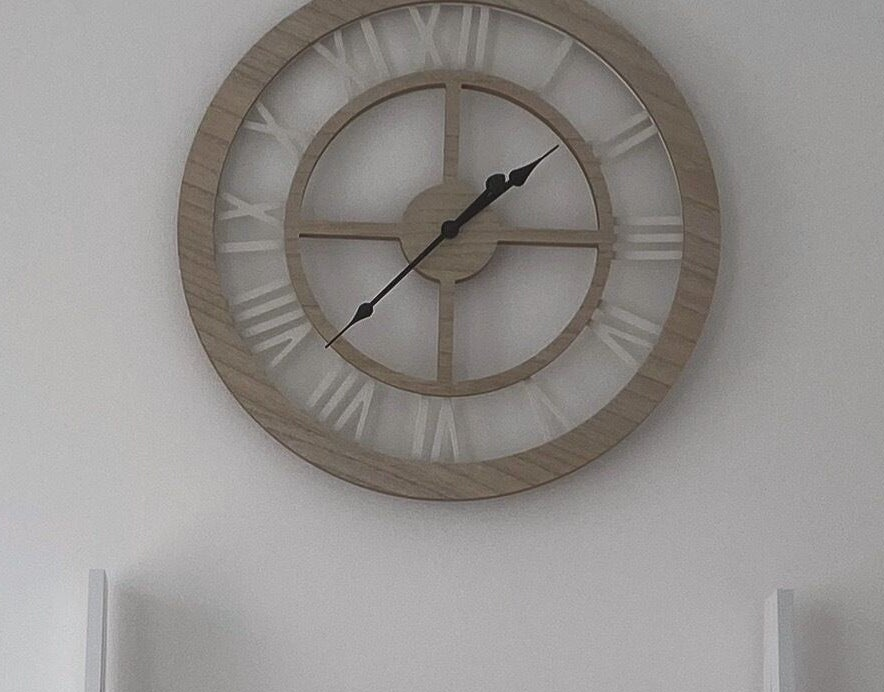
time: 1:37
